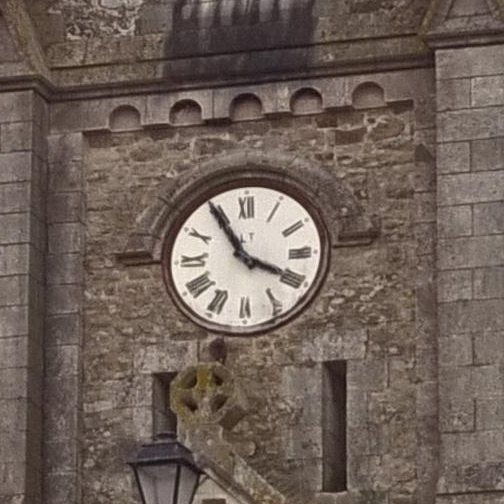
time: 3:54
